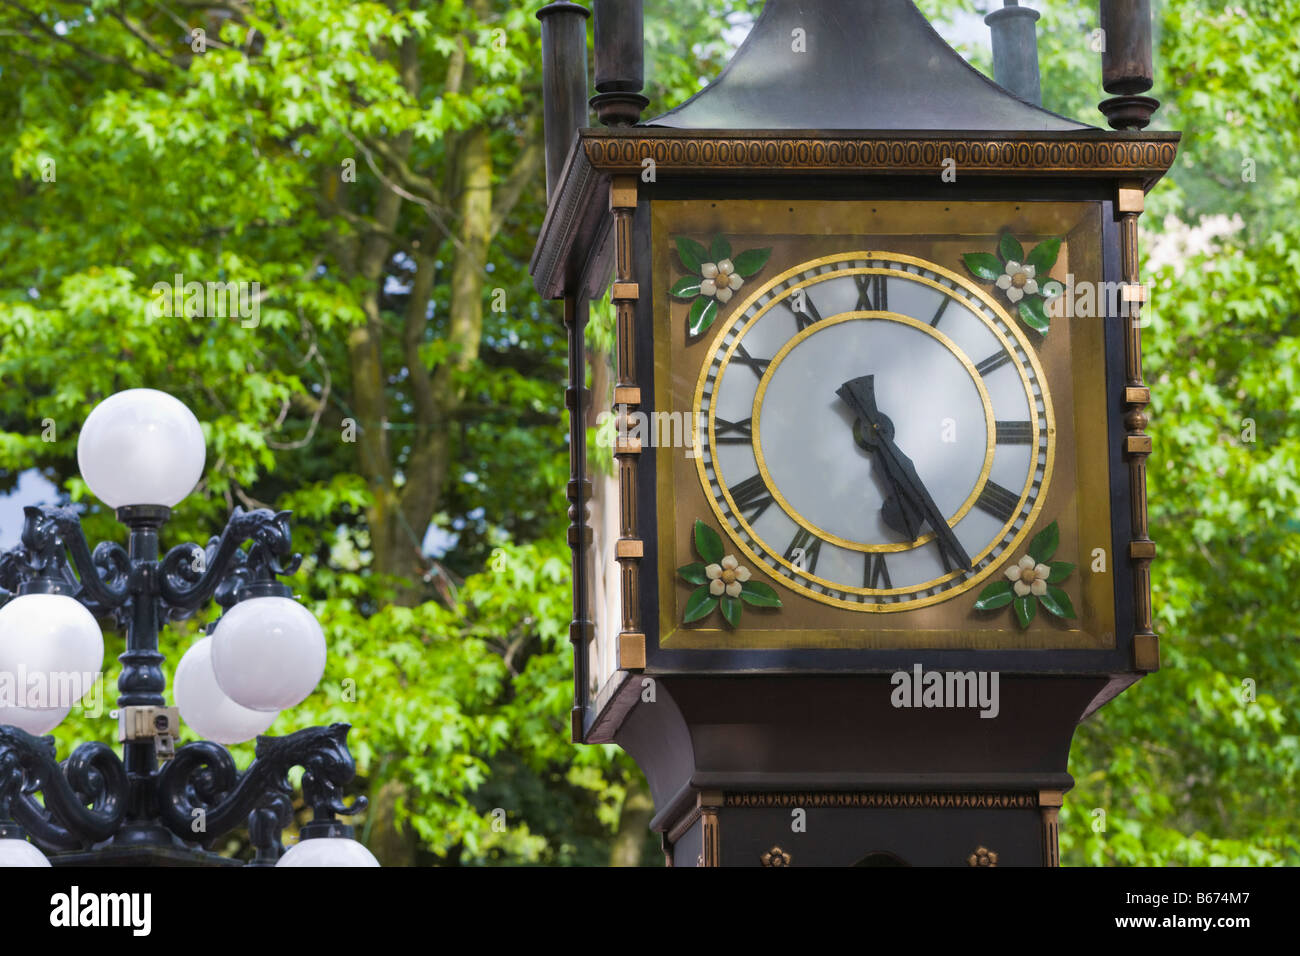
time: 5:24
